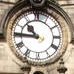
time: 10:45
